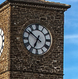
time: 6:51
